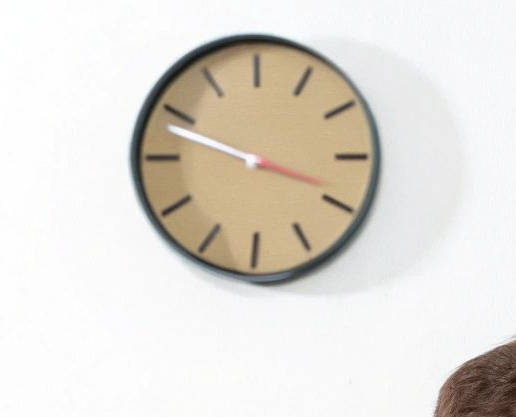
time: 3:48
